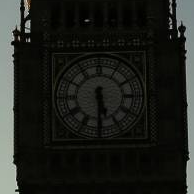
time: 5:30
